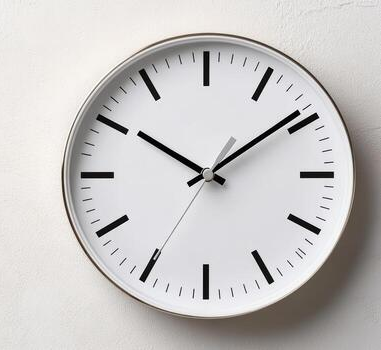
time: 10:09
